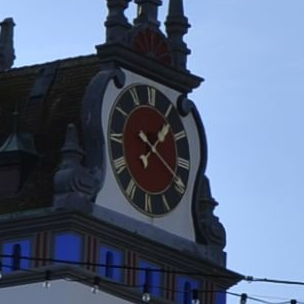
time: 1:18
